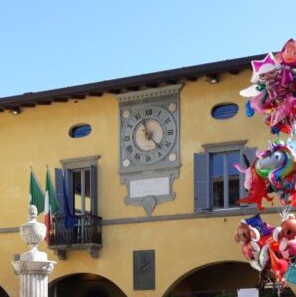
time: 11:22
